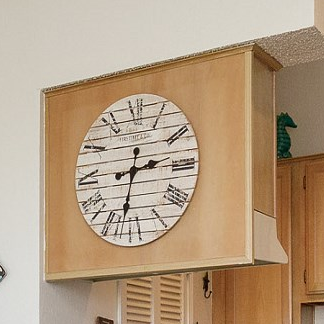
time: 2:32
